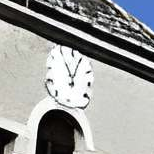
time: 11:03
